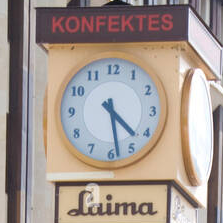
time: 4:28
